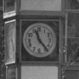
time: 11:23
